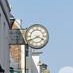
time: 3:40
